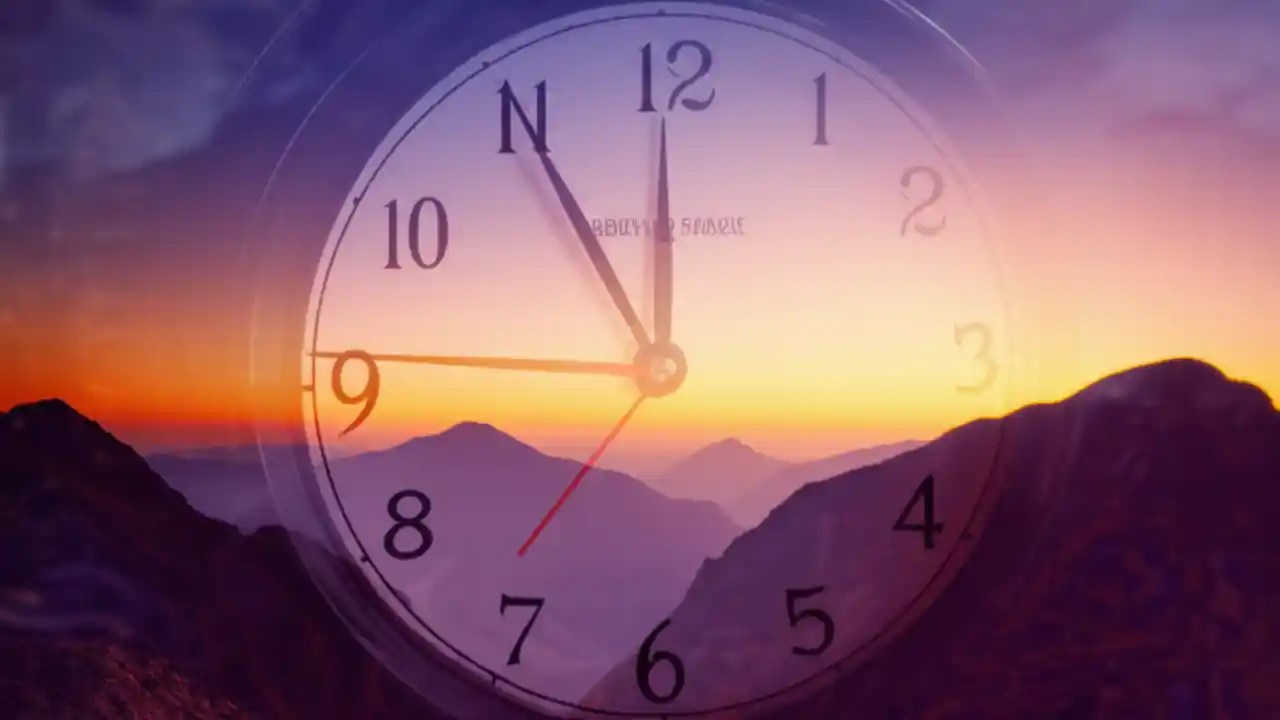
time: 11:55
